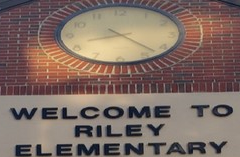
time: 8:22
